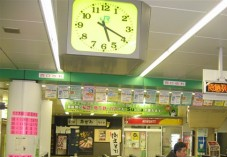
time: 5:19
